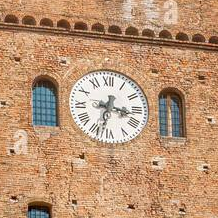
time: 3:32
